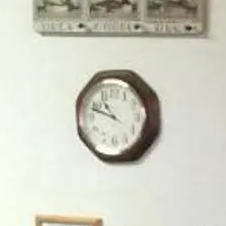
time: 10:48
